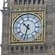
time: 10:32
